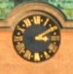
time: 3:09
